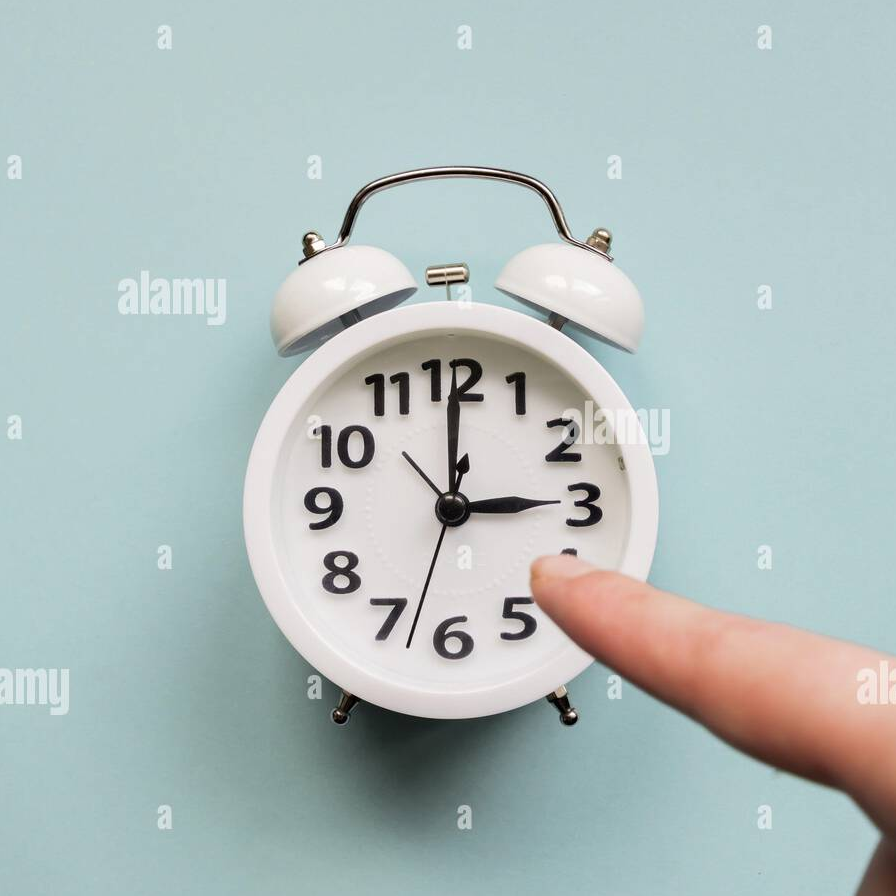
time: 3:00
